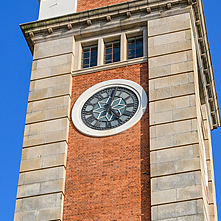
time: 12:24
